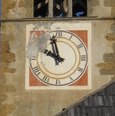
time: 9:57
